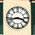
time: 3:43
